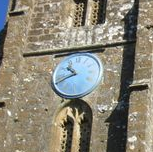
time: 10:41
